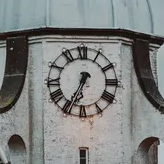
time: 6:34
